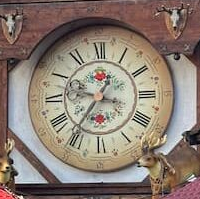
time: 12:35
